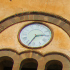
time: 2:33
